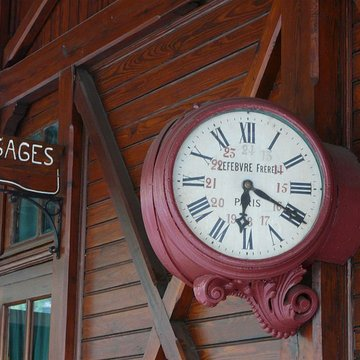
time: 6:19
